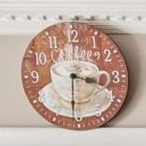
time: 3:30
